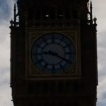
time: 9:20
